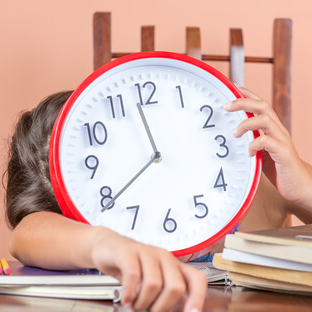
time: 11:38
